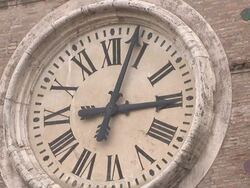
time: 3:03
